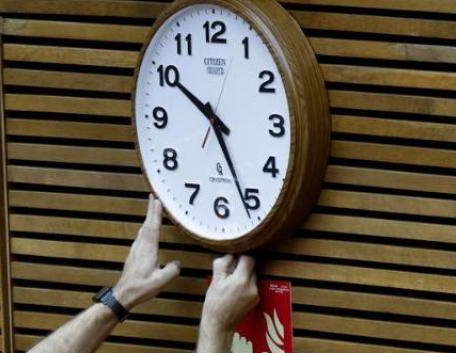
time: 4:50
